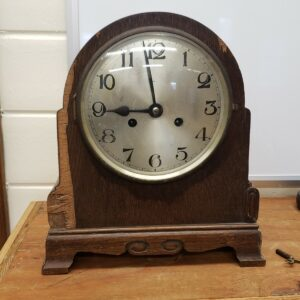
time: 8:58
